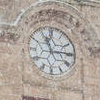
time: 11:14
